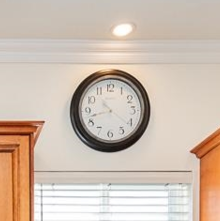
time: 10:42
